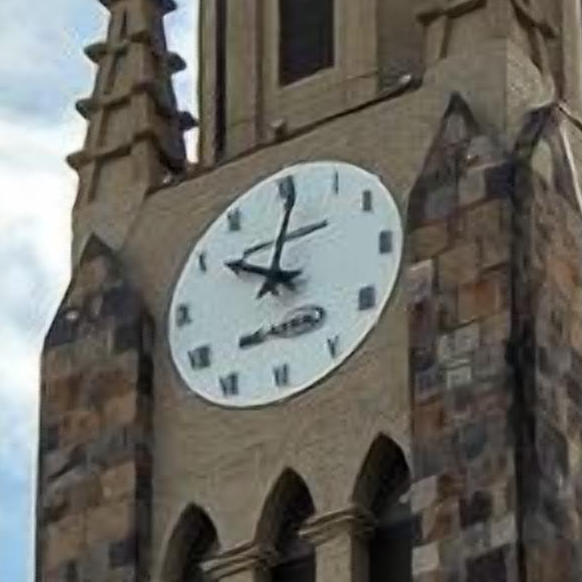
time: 10:01
